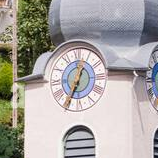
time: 12:34
